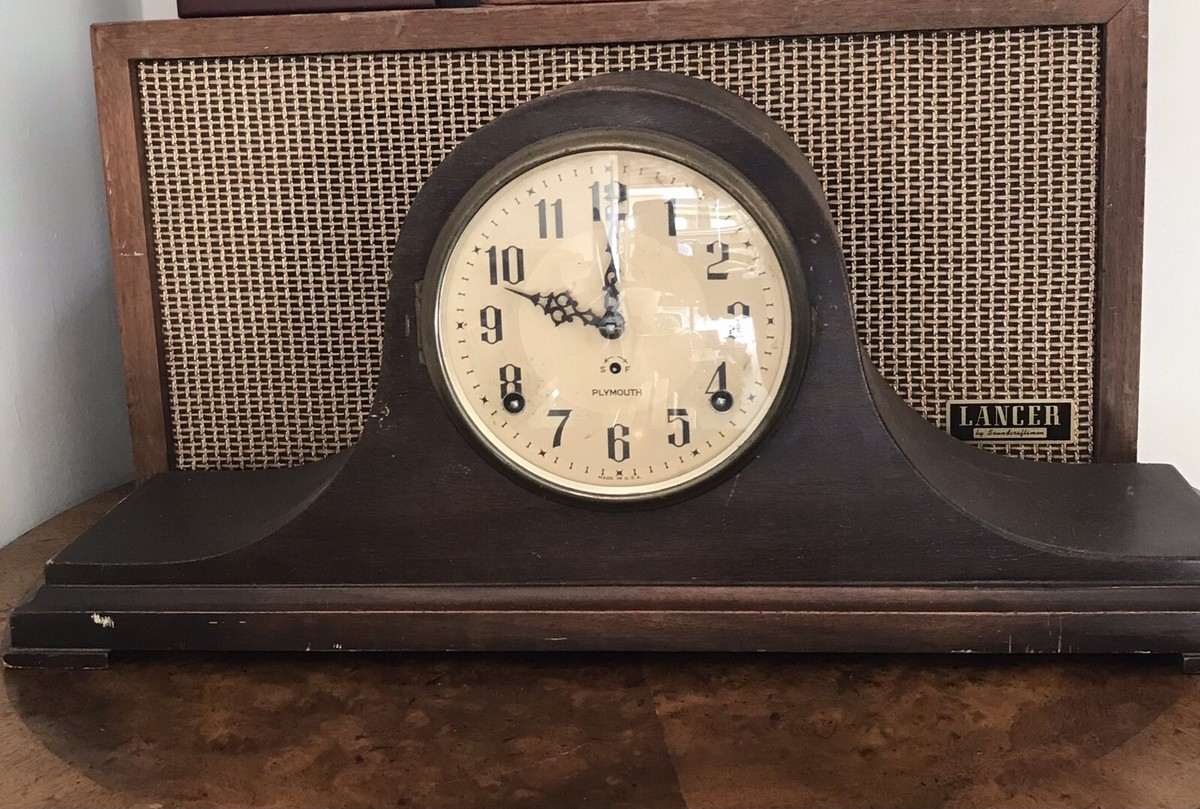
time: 9:59
